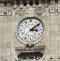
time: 3:08
